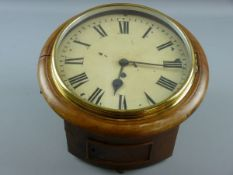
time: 6:15
